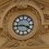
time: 3:44
